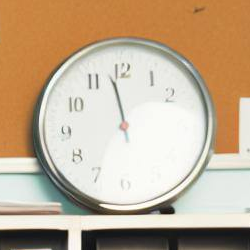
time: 11:35
